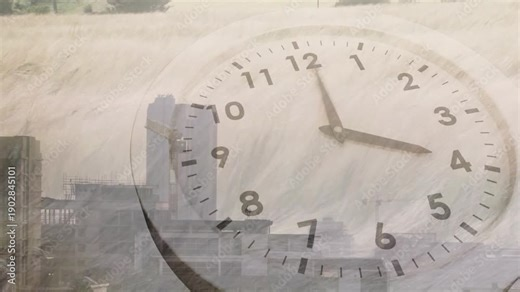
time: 4:00
